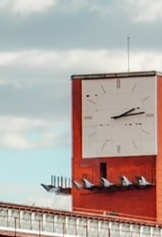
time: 2:13
